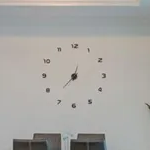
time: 12:37
